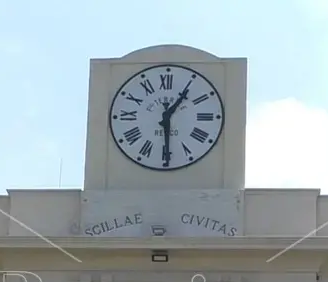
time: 1:29
